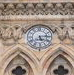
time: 5:14
